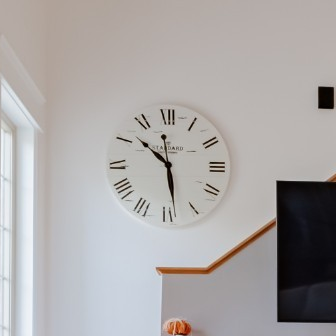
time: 10:28
